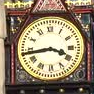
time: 3:43
